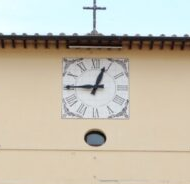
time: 12:45
